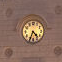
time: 4:33
